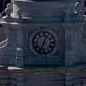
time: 12:33
